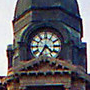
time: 4:35
